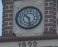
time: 10:28
